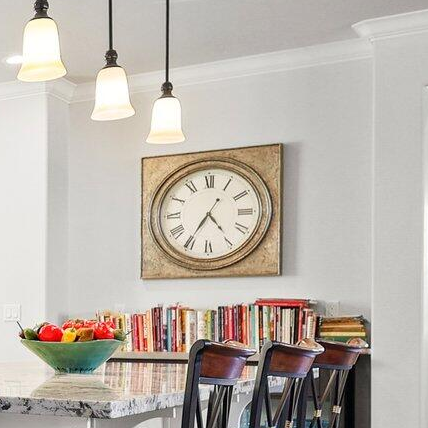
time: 4:35
